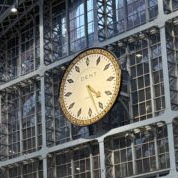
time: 4:26
